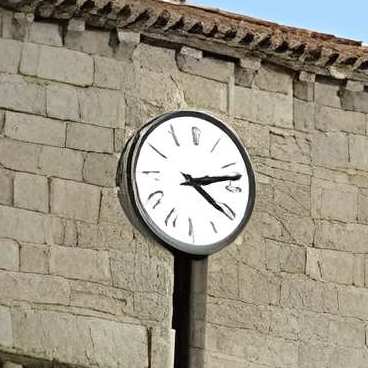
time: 4:12
